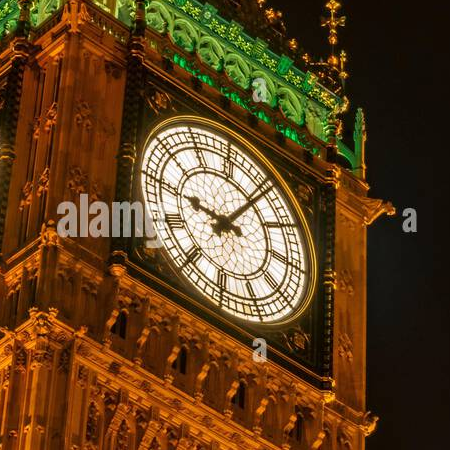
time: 9:07
